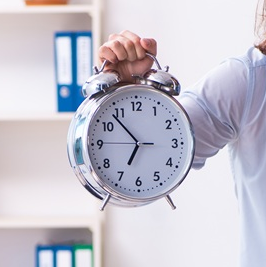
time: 6:53
